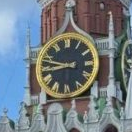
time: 8:47
